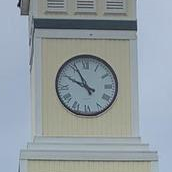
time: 9:55
